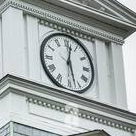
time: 12:27
